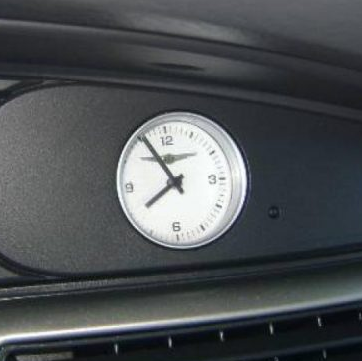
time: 7:54
